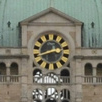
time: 2:40
